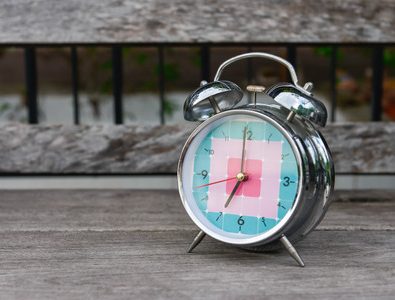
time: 7:00
